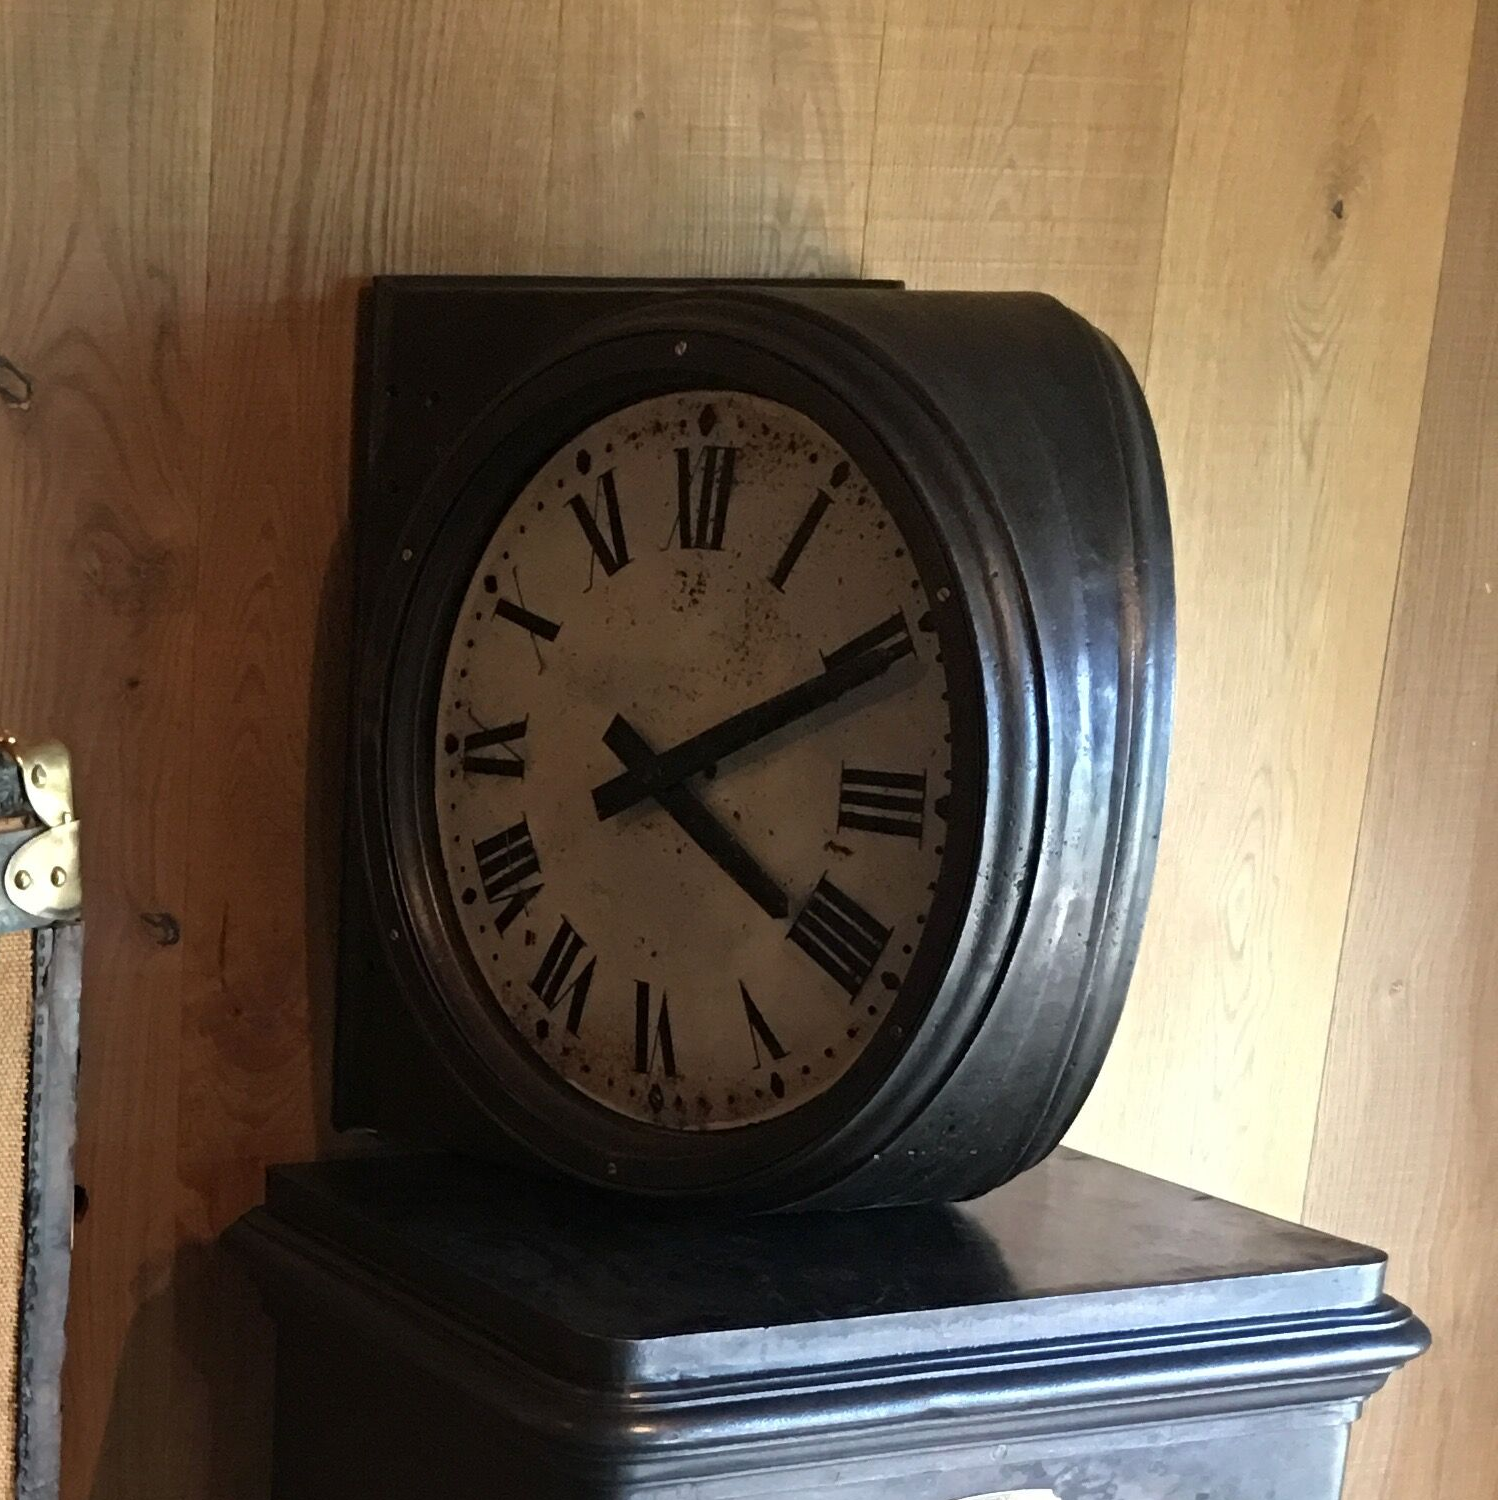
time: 4:10
